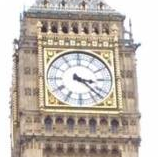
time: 3:22
